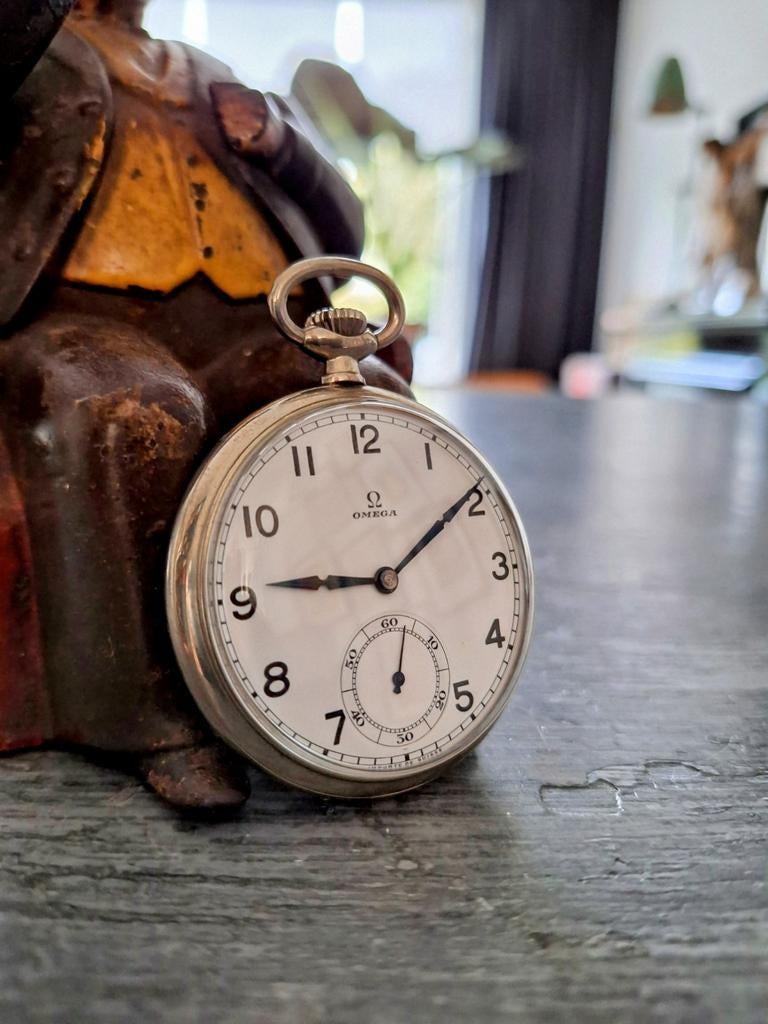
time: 9:09
